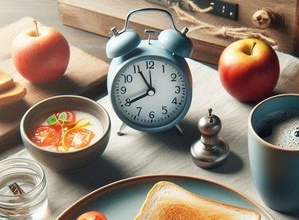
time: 7:55
